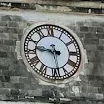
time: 5:45
